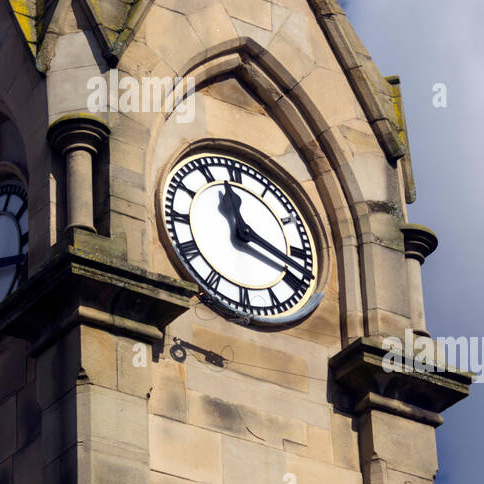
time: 11:18
